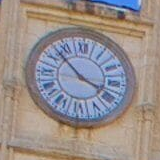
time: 3:52
